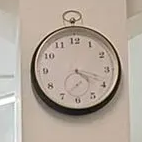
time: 4:17
